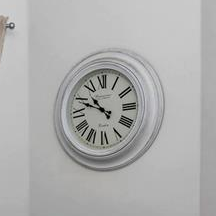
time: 10:49
